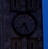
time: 7:25
